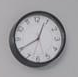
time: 12:40
